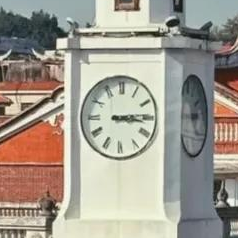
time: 3:13
